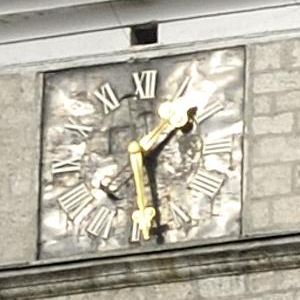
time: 1:28
